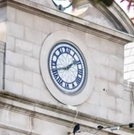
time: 1:41
